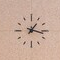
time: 1:17
